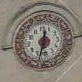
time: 12:32
